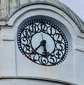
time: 5:37
